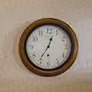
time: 12:35
